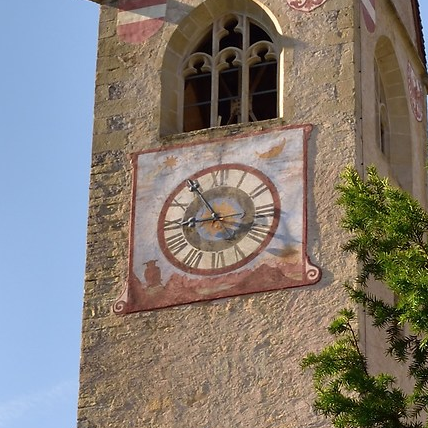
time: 8:54
